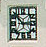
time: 2:52
